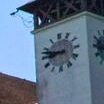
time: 8:47
